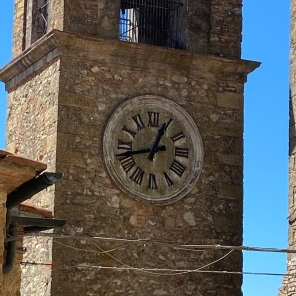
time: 12:42
